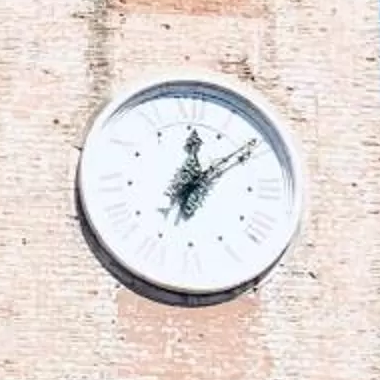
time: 12:09
